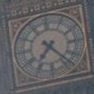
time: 7:23
